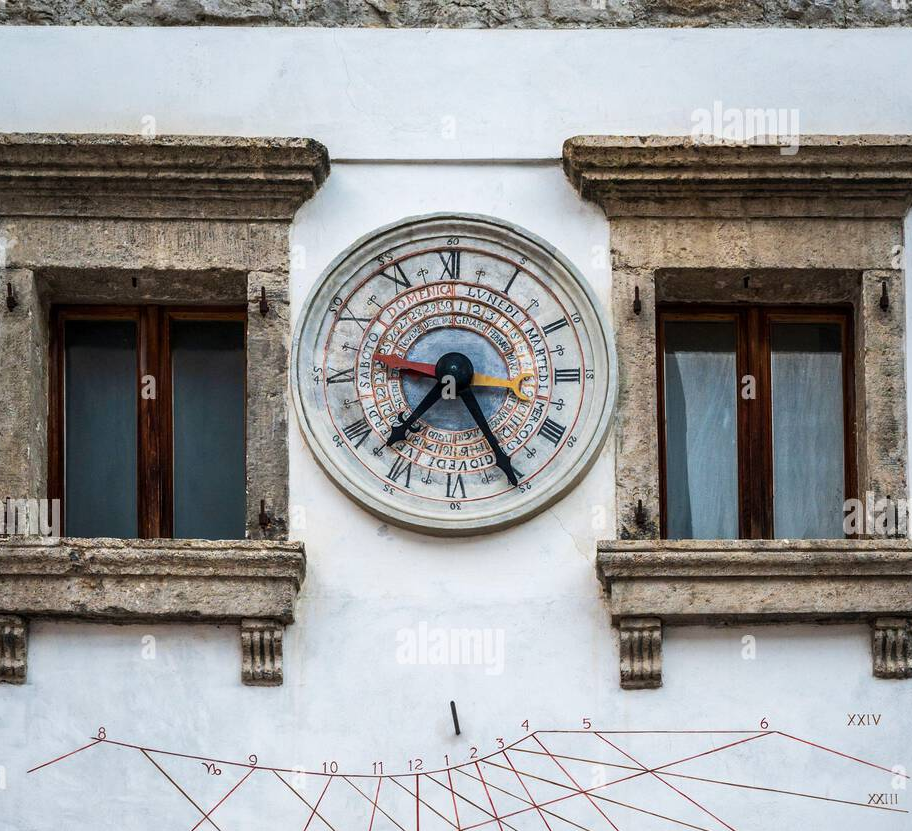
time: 7:25
